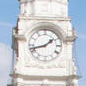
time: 1:42
